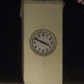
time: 3:48
